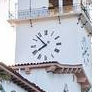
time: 7:52
